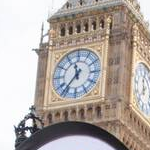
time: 11:36
